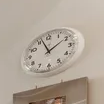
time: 1:56
